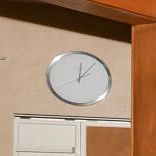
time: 12:06
